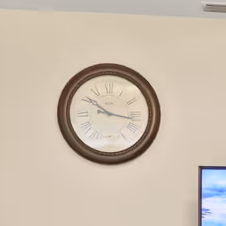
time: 10:16
